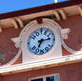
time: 7:15
